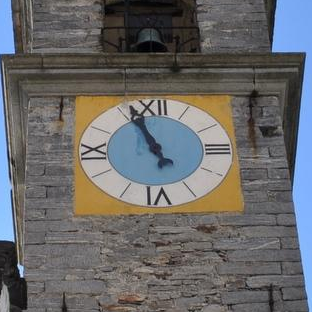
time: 10:56
